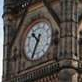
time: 10:34
